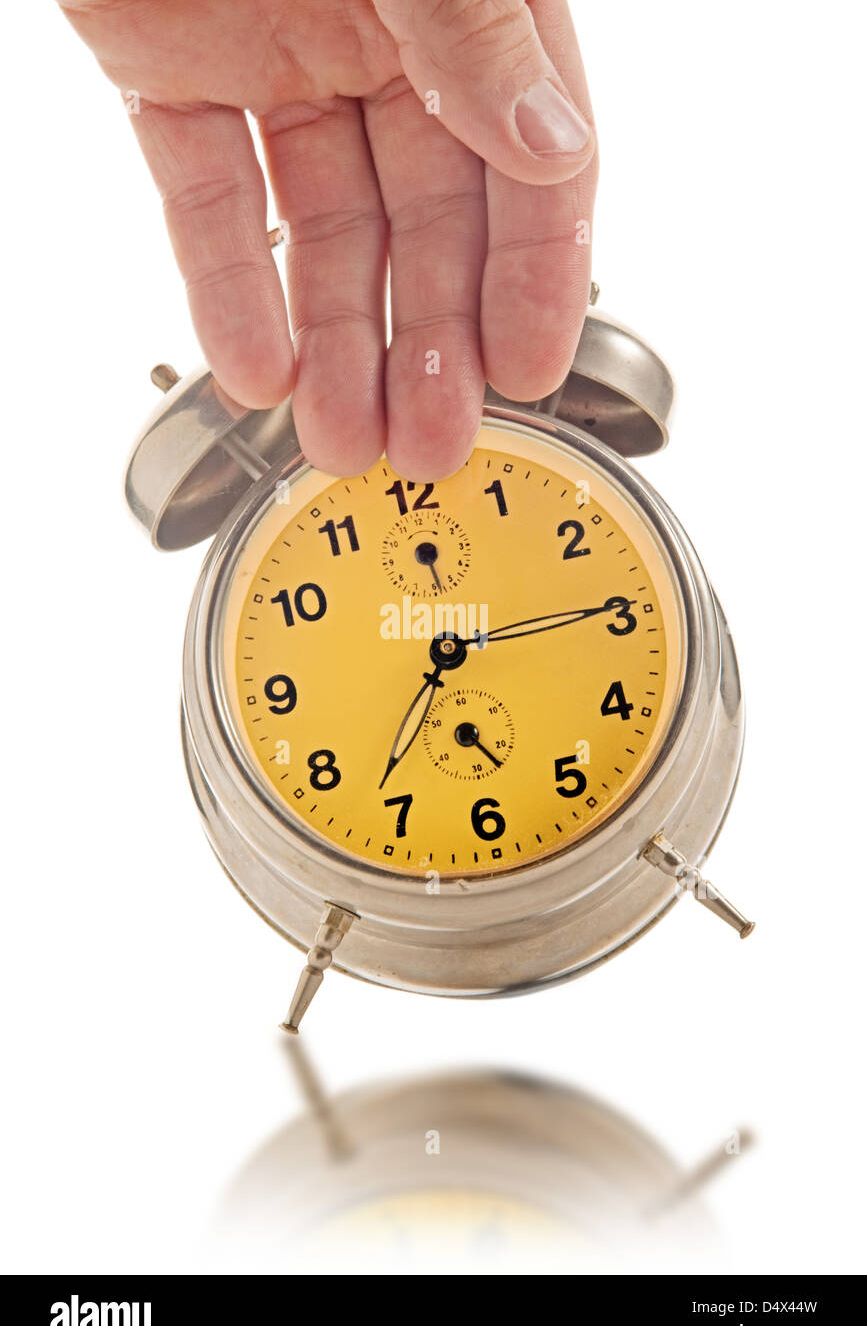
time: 7:14
